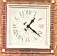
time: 1:21
